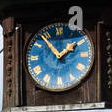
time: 1:53
